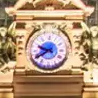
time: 9:39
